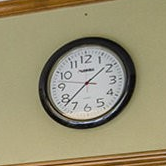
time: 1:37
